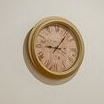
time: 9:06
